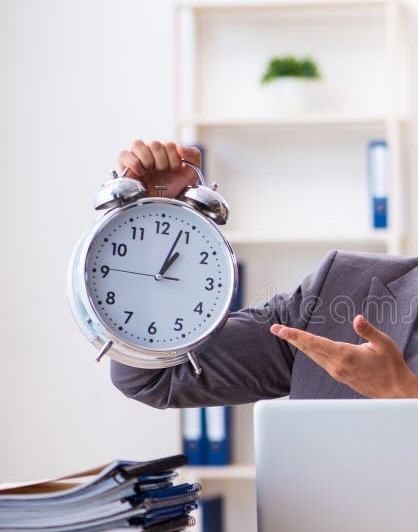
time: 1:03
